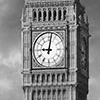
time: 9:01
